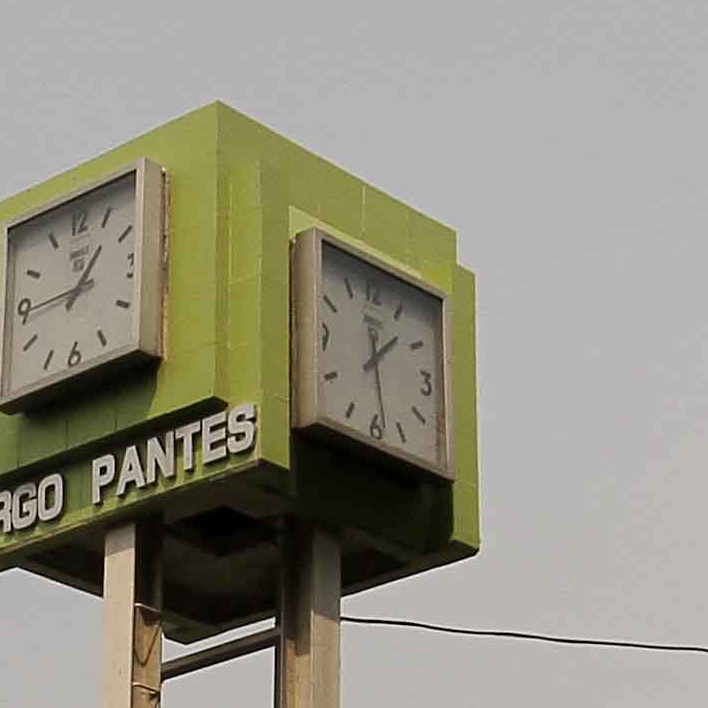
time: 1:28
